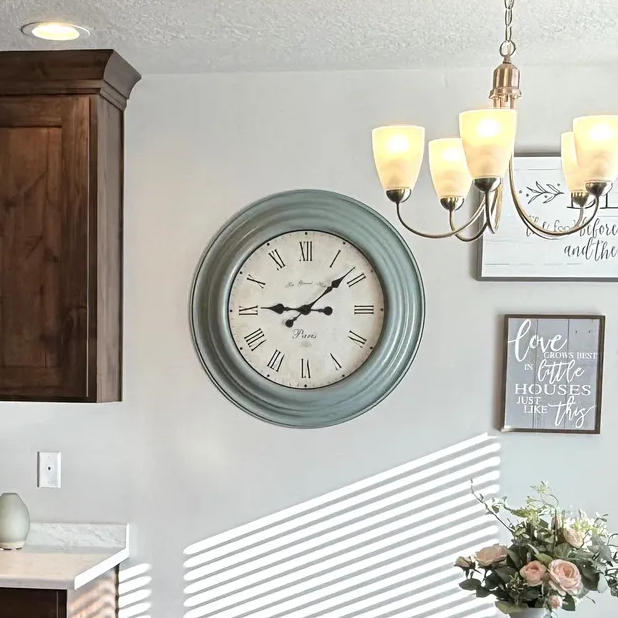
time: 9:08
